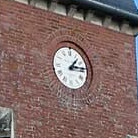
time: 1:13
